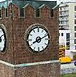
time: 8:11
